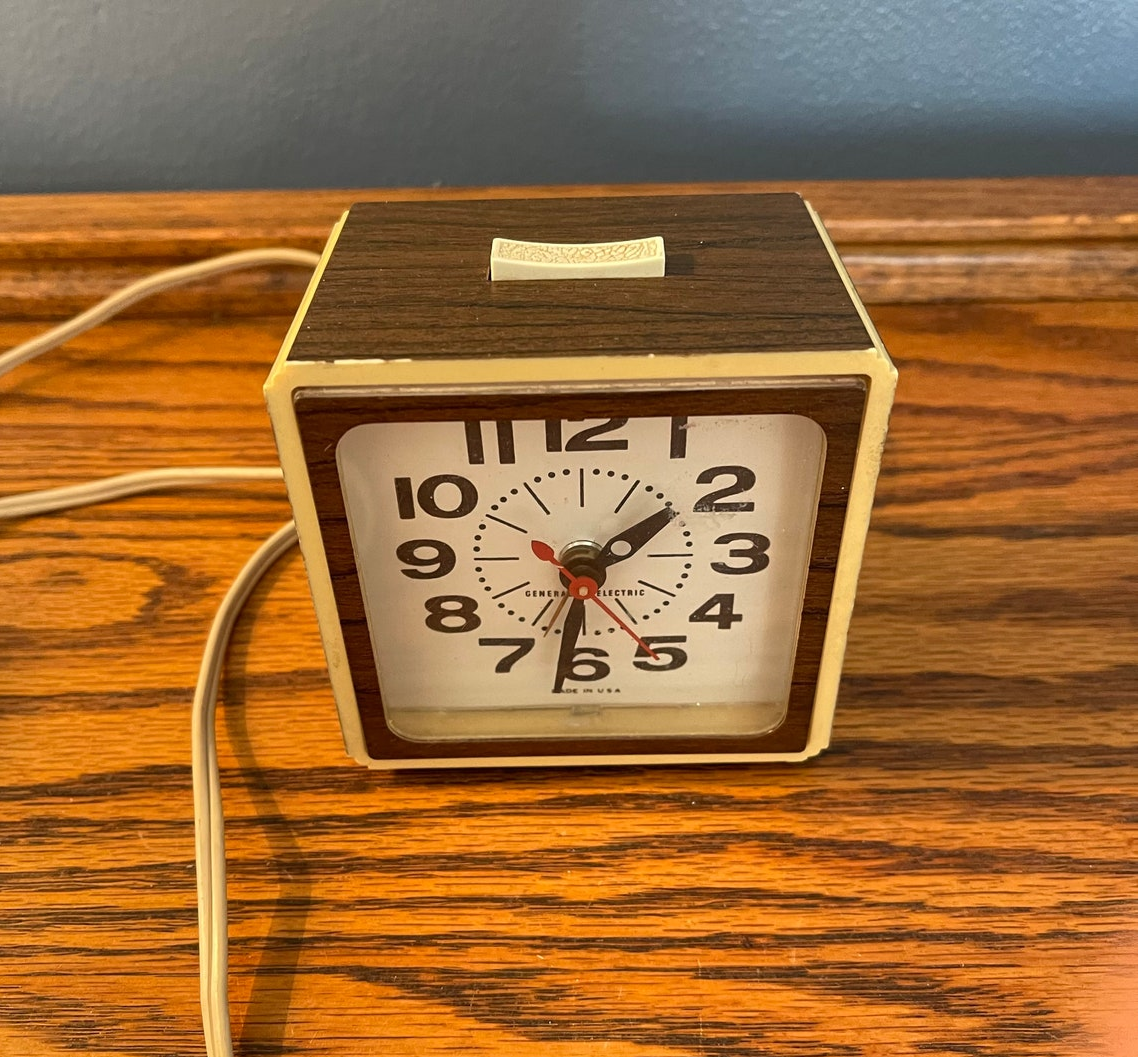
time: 1:31
